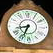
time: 8:34
